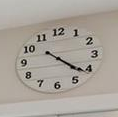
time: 4:21
